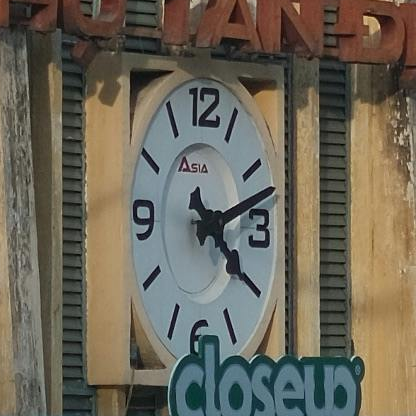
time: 4:12
